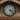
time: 3:23
